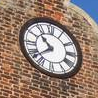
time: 10:38
